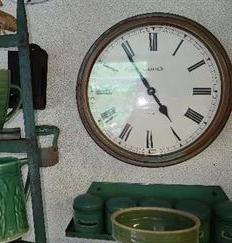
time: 4:54
